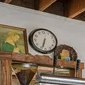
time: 6:33
